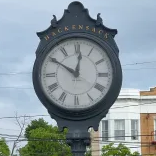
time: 10:01
